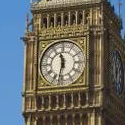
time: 11:32
